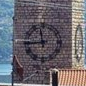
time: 11:44
